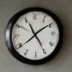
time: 11:09
